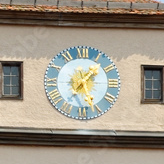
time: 1:26
